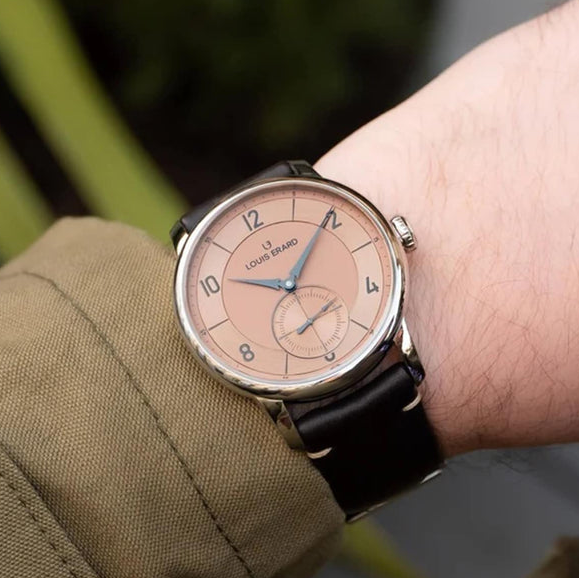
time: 9:04
